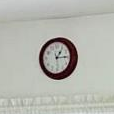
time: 1:14
